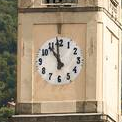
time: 10:59
